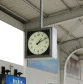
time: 1:10
